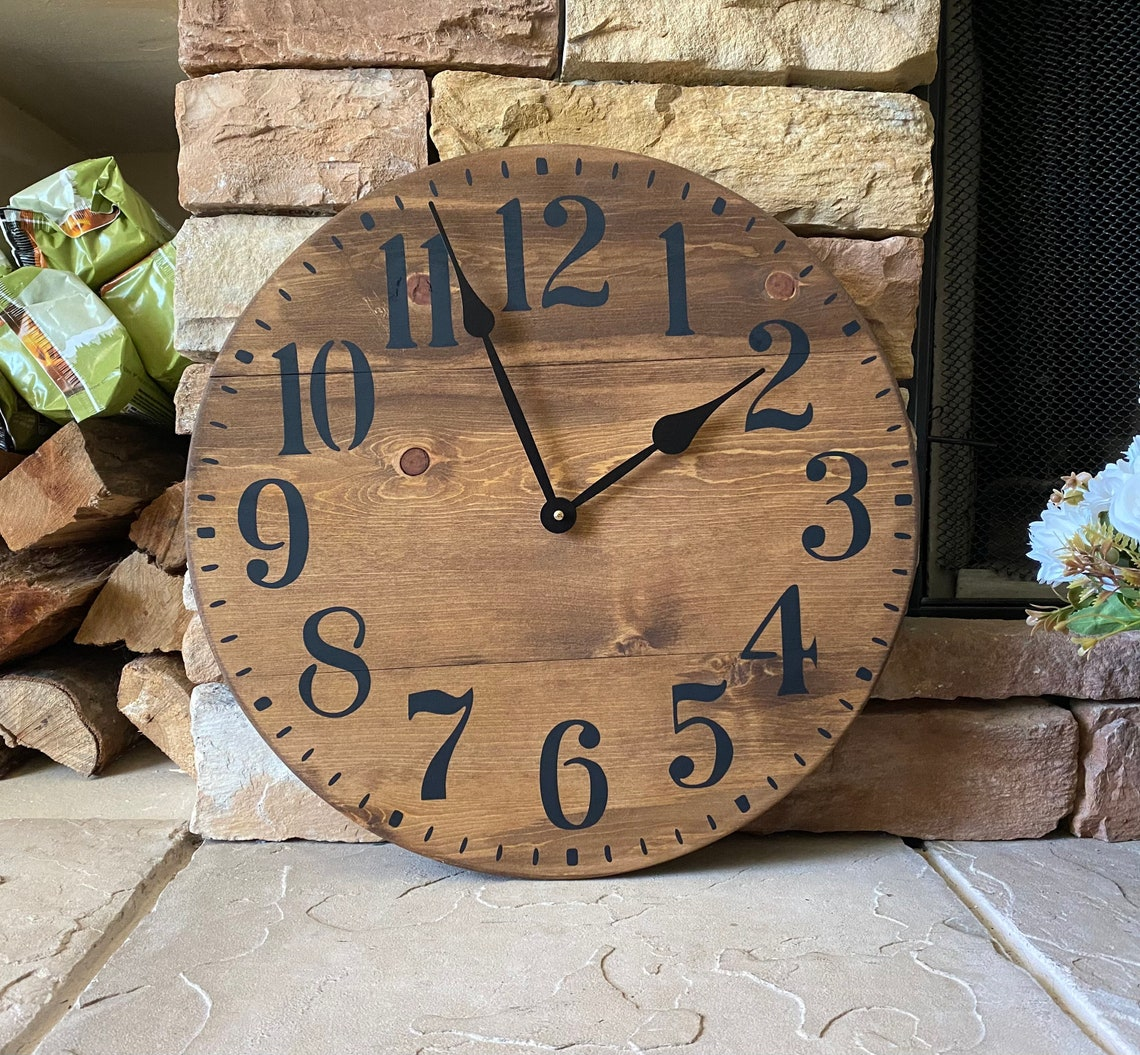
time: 1:56
